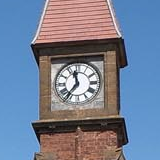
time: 11:36
